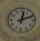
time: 12:11
